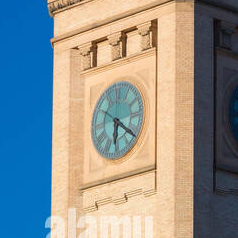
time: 6:20
